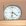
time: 6:21
